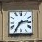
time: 2:35
